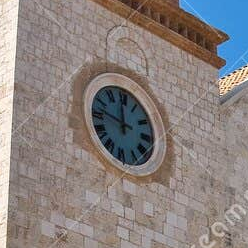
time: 11:46
